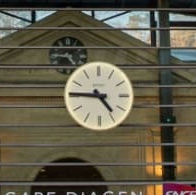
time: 4:45
